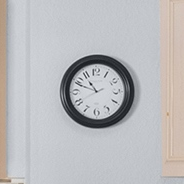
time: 10:48
